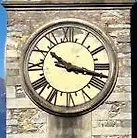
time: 10:17
